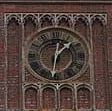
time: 1:32
